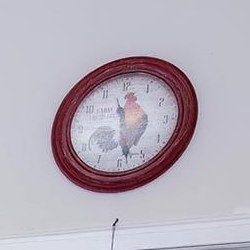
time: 11:28
